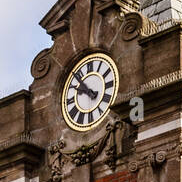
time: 9:52
